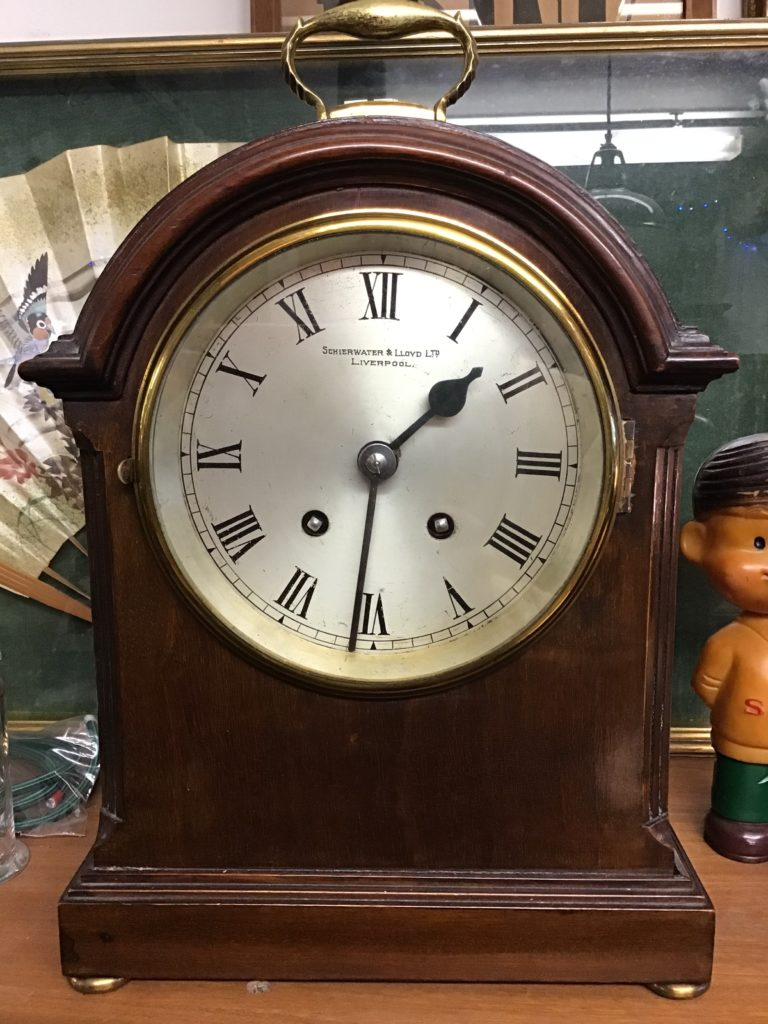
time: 1:31
